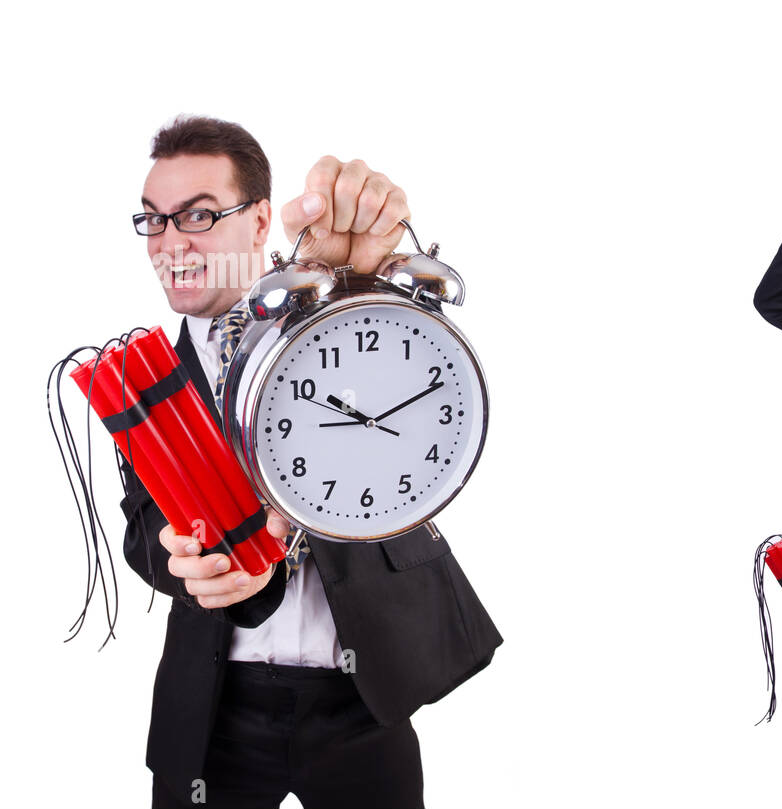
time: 10:11
